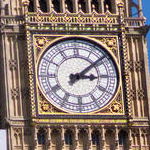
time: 3:08
